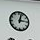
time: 3:02
